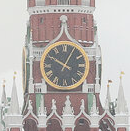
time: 10:04
